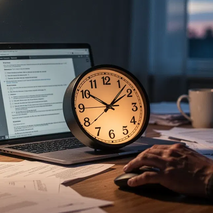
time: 10:07
